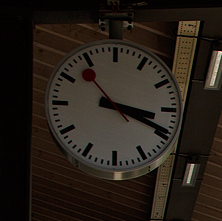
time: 3:18
